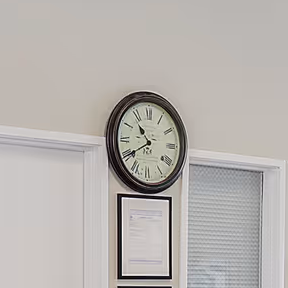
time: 10:39
